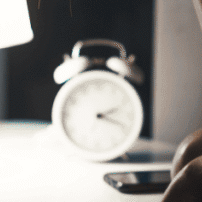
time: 2:18
